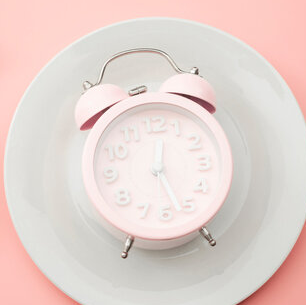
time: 12:26
